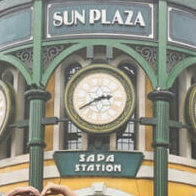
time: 2:40
